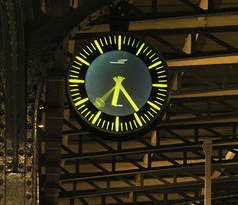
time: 6:24
